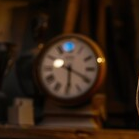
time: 12:19
